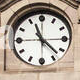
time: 11:22
